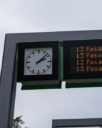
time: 2:08
